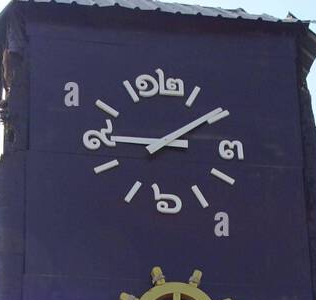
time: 9:09
